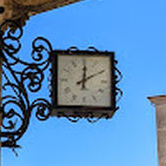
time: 12:10
